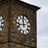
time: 11:42
